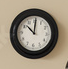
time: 10:00
